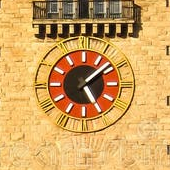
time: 5:08
